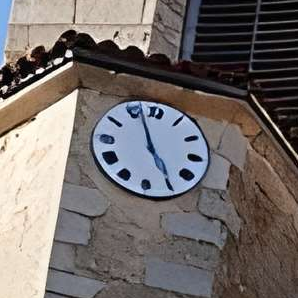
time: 4:56
